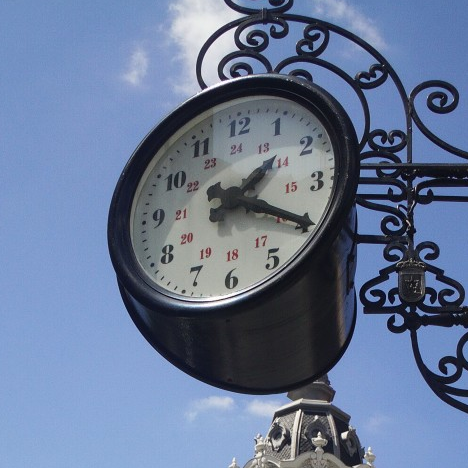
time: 1:19
